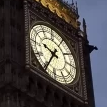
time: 9:34
